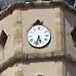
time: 5:32
